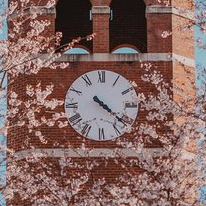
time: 4:21
